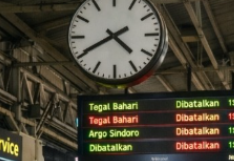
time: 4:40
